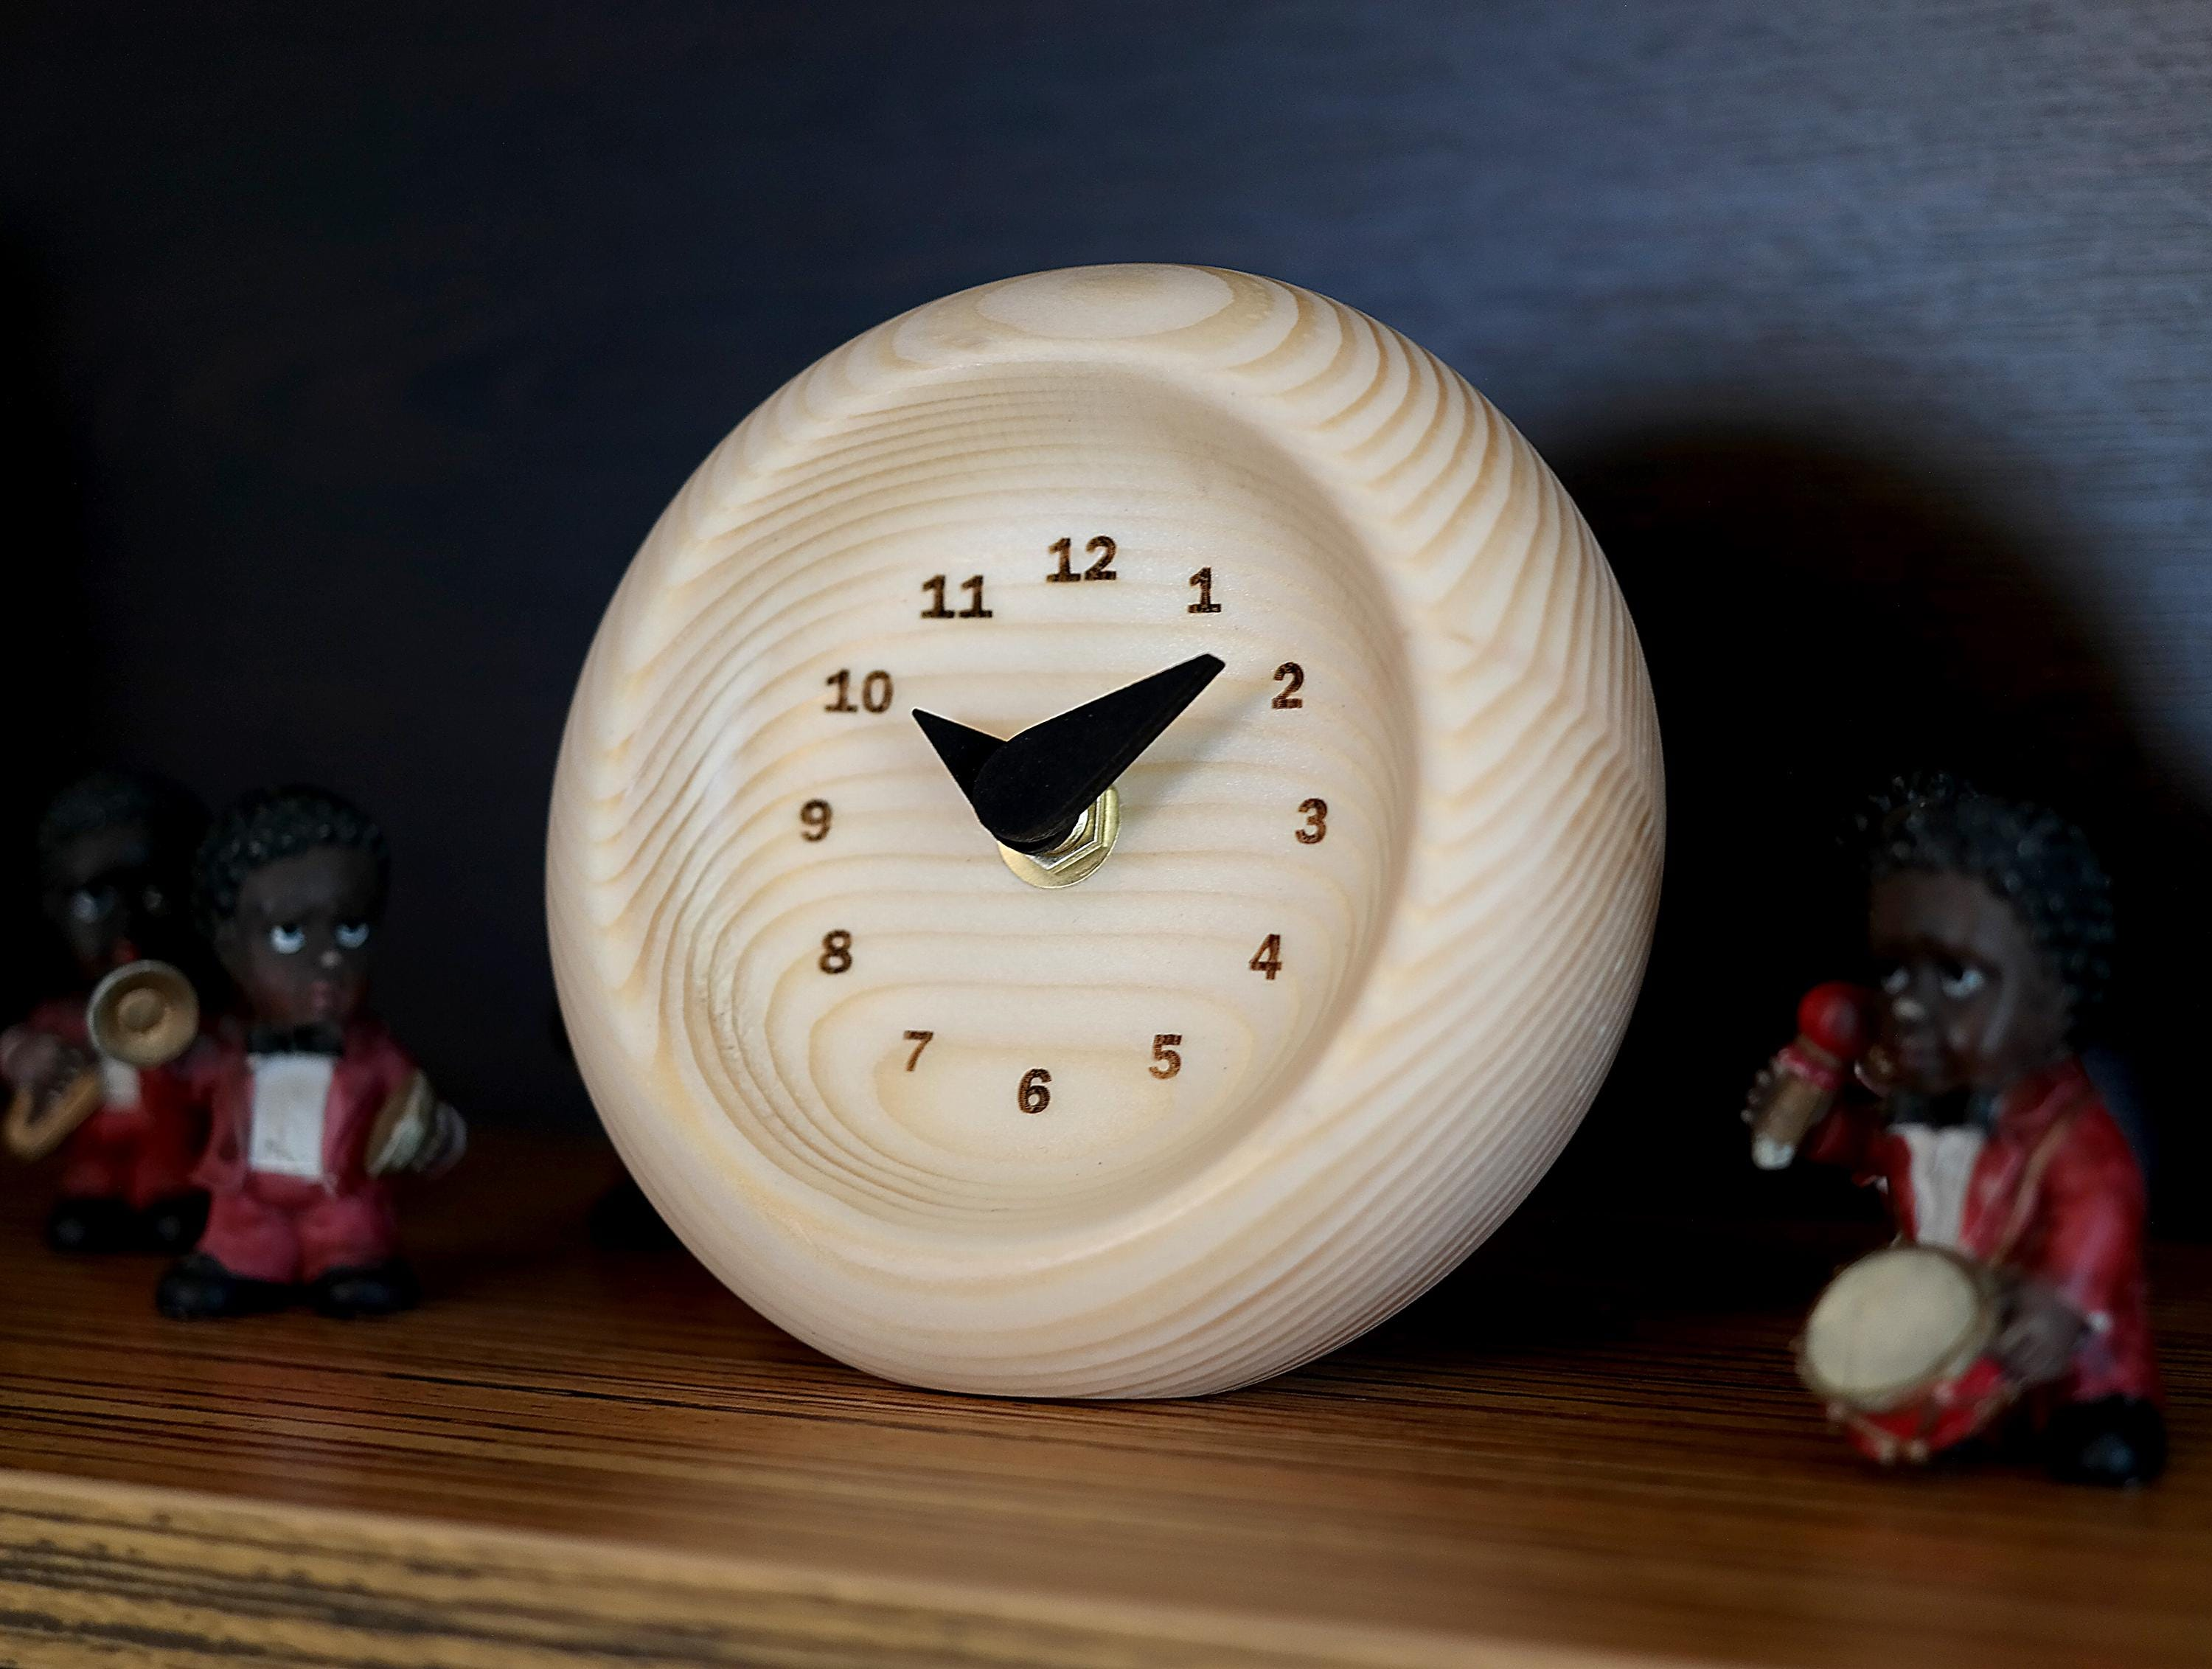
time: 10:07
